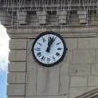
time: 12:03
